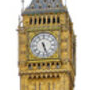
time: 5:26
